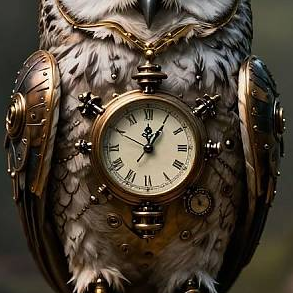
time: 12:05
